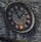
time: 11:07
